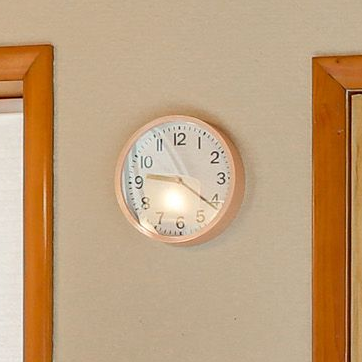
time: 9:21
